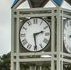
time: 2:29
